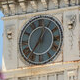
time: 12:36
